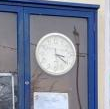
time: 3:21
